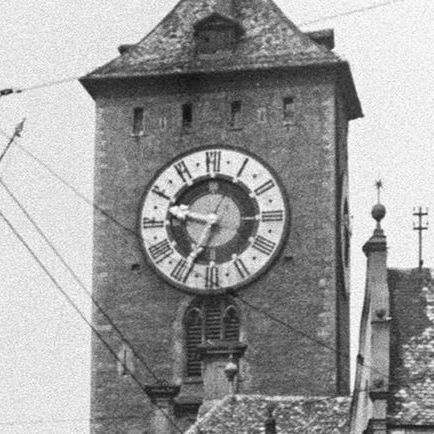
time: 9:34
